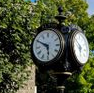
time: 5:49
